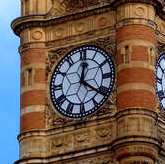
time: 12:21
